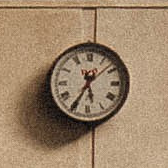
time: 5:34
